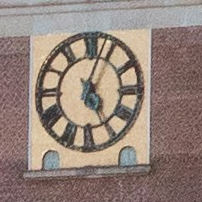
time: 5:03
